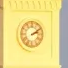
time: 2:09
